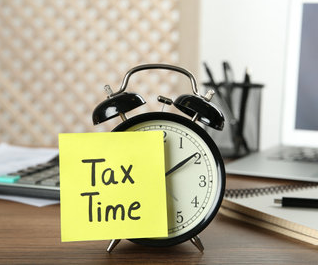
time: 12:09
